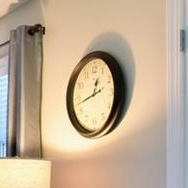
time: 12:42
